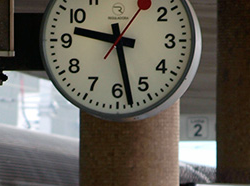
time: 9:28
